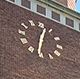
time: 12:31
